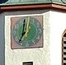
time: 7:01
